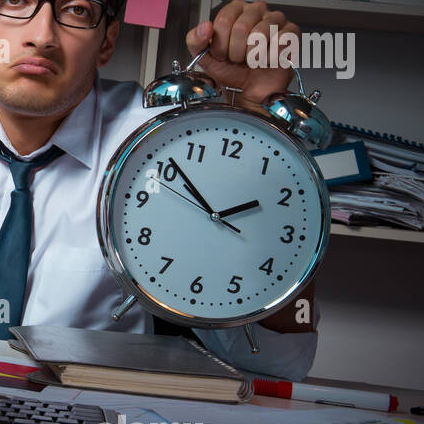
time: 1:51
